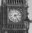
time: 2:24
